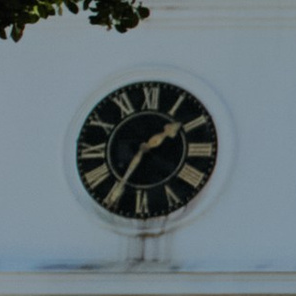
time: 1:35
